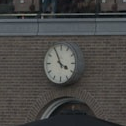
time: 3:55
